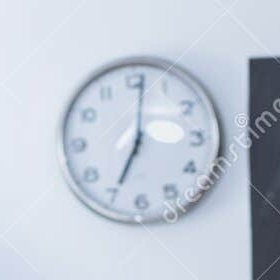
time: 7:01
